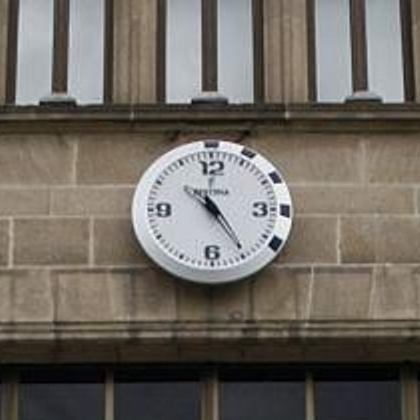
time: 10:24
